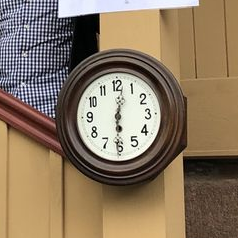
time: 6:01
